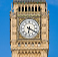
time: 6:19
